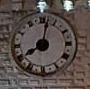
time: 8:02
